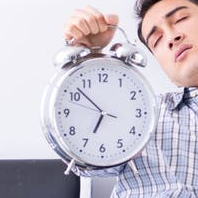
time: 6:52
